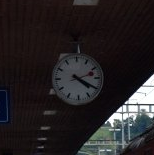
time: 4:20
